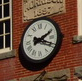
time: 2:19
